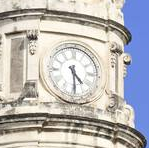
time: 4:29
